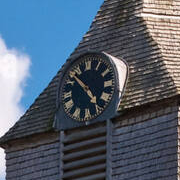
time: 4:52
